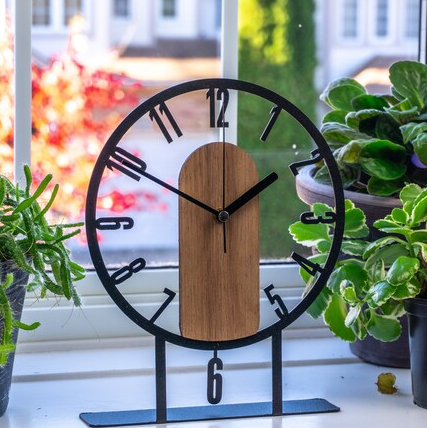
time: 1:49
